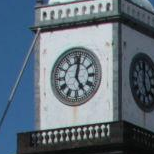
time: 5:01
